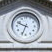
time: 9:33
